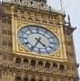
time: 4:34
